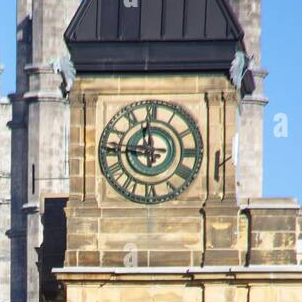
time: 11:45
